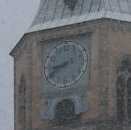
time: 8:40
